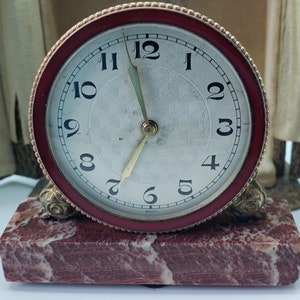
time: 6:57
